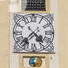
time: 4:37
